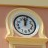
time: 12:03
